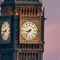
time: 8:37
